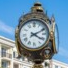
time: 4:10
